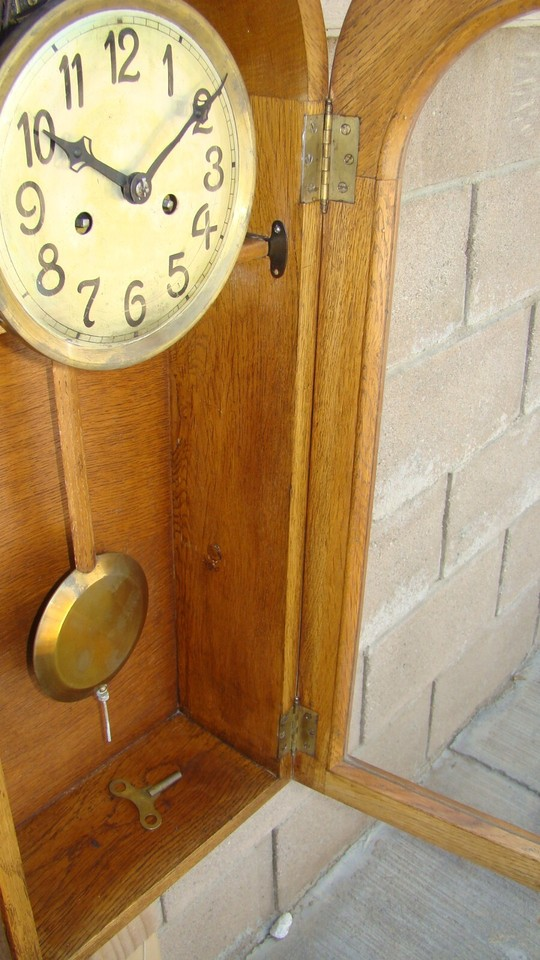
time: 10:09
